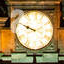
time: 9:48
